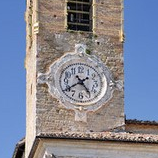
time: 4:40
